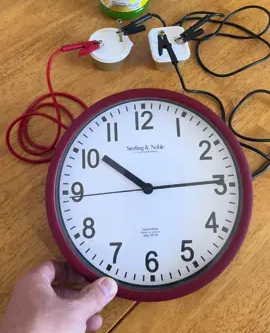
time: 10:14
